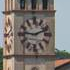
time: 9:11
